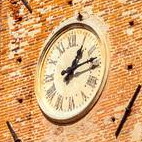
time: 1:13
